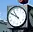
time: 10:50
